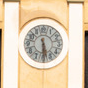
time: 5:29
